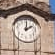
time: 2:01
